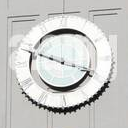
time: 3:48
